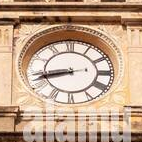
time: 8:42
